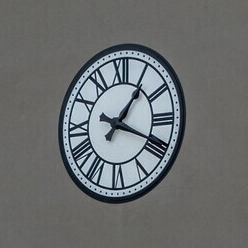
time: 1:18
